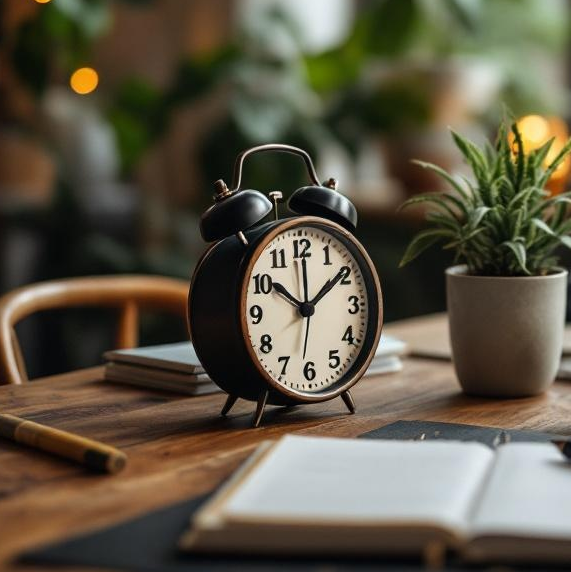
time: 10:09
